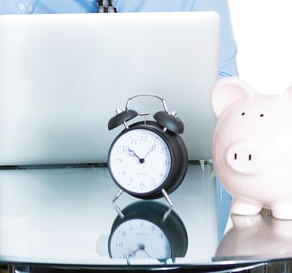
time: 10:07
